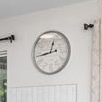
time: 12:43
